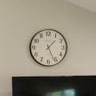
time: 1:26
